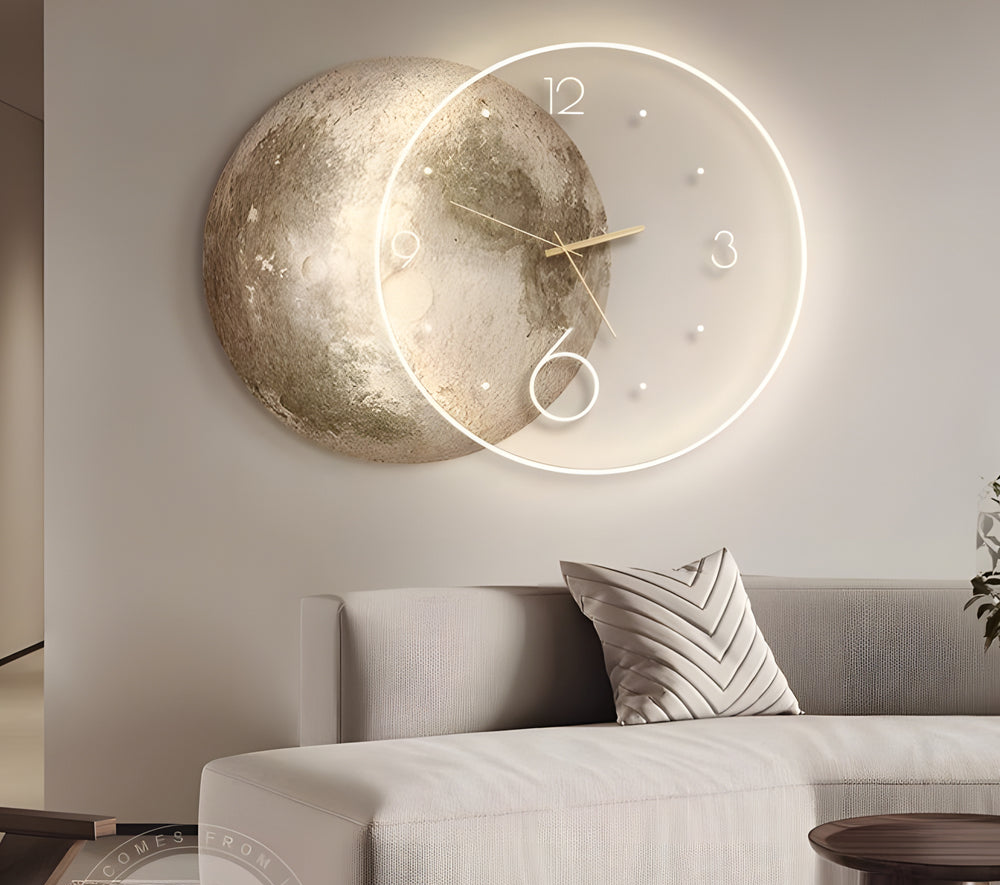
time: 2:48
